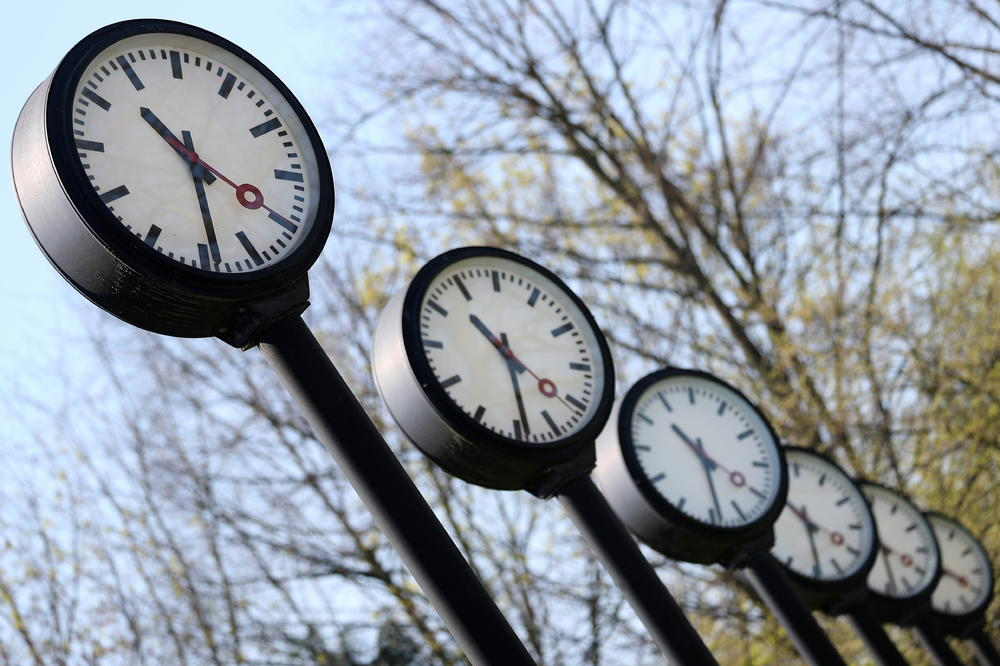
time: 10:28
